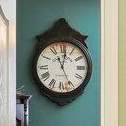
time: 11:01
